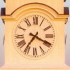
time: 7:19
